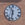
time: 11:32
